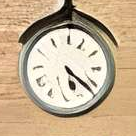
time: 5:21
